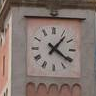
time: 1:21
